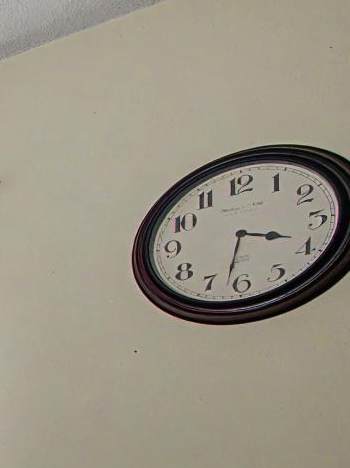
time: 3:32
